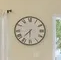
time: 7:30
